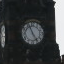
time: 4:56
